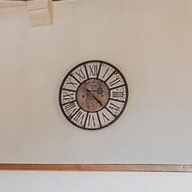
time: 4:22
